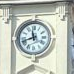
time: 11:41
